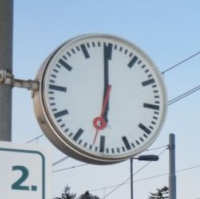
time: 5:59
